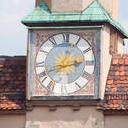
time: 2:42
